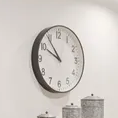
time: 9:53
